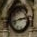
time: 2:42
